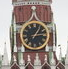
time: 1:13
